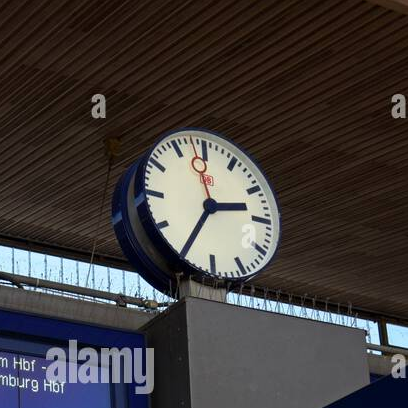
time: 2:35
